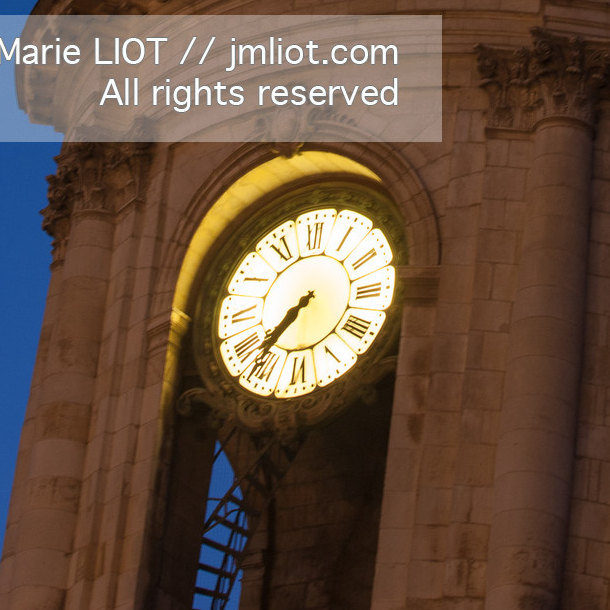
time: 7:37
